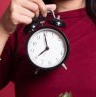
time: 7:59
